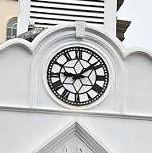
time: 9:08
